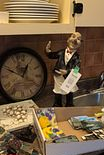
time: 12:48
